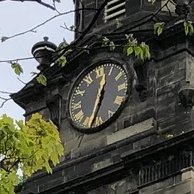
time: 12:34
